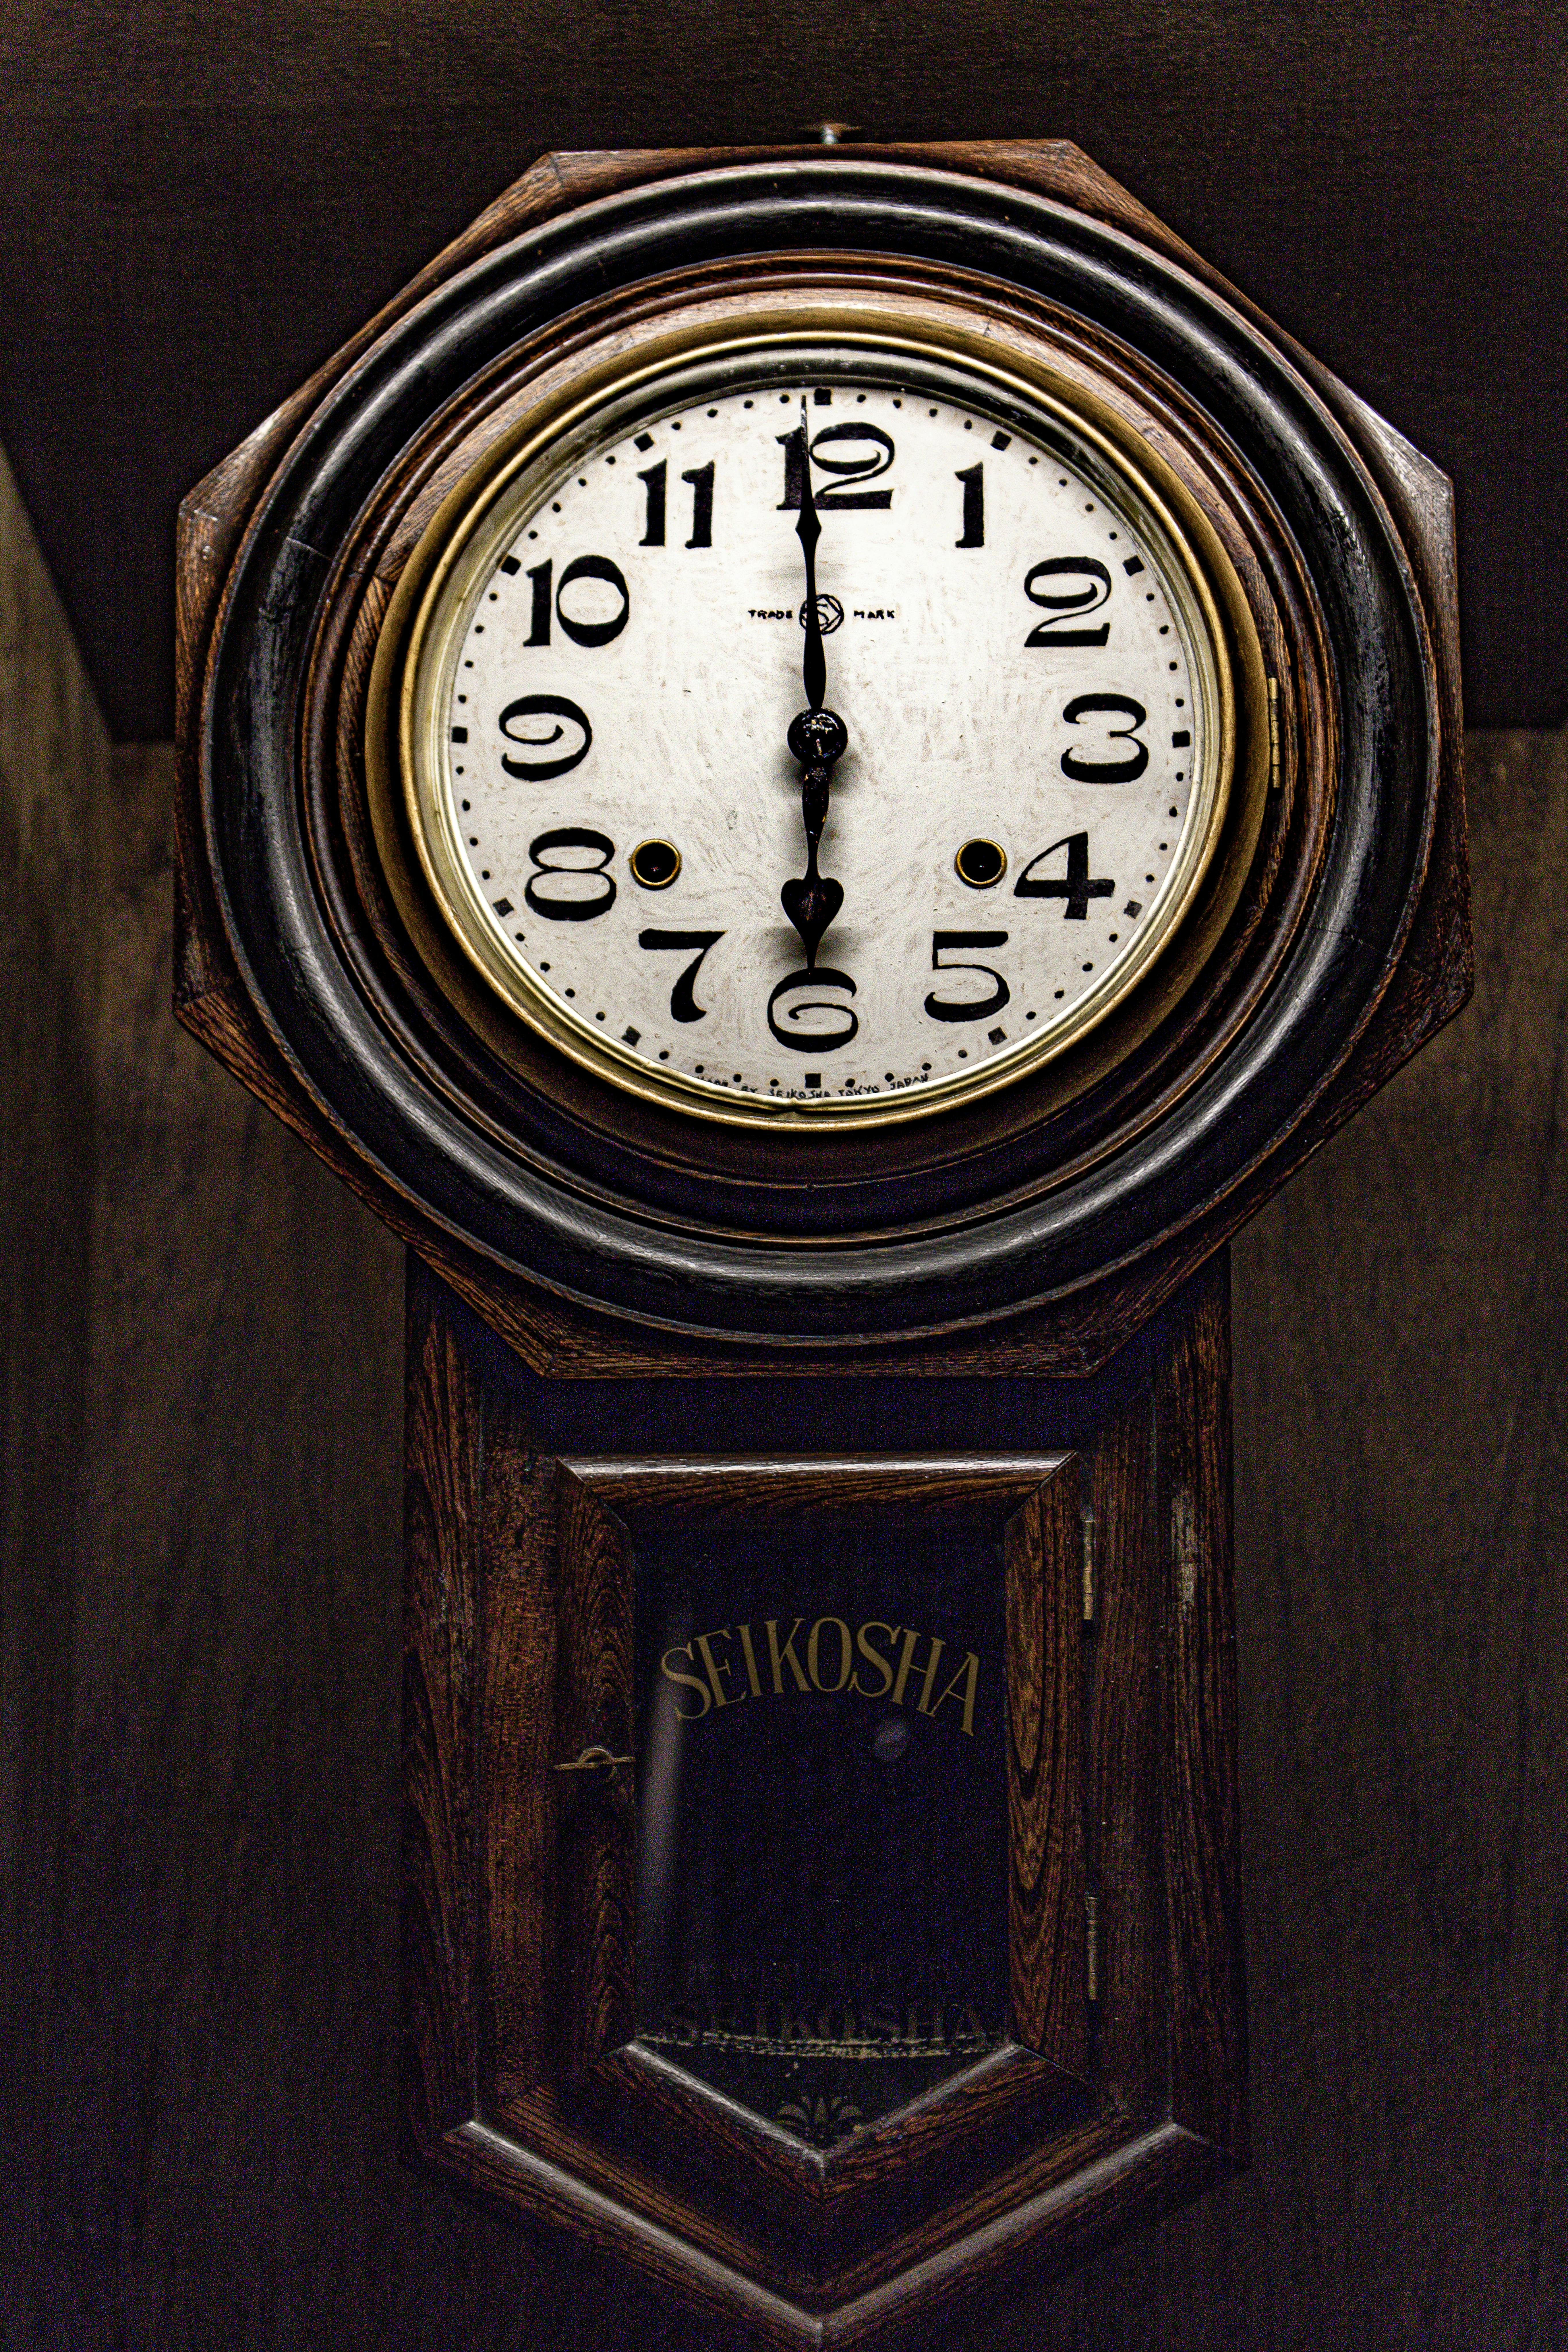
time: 5:59
